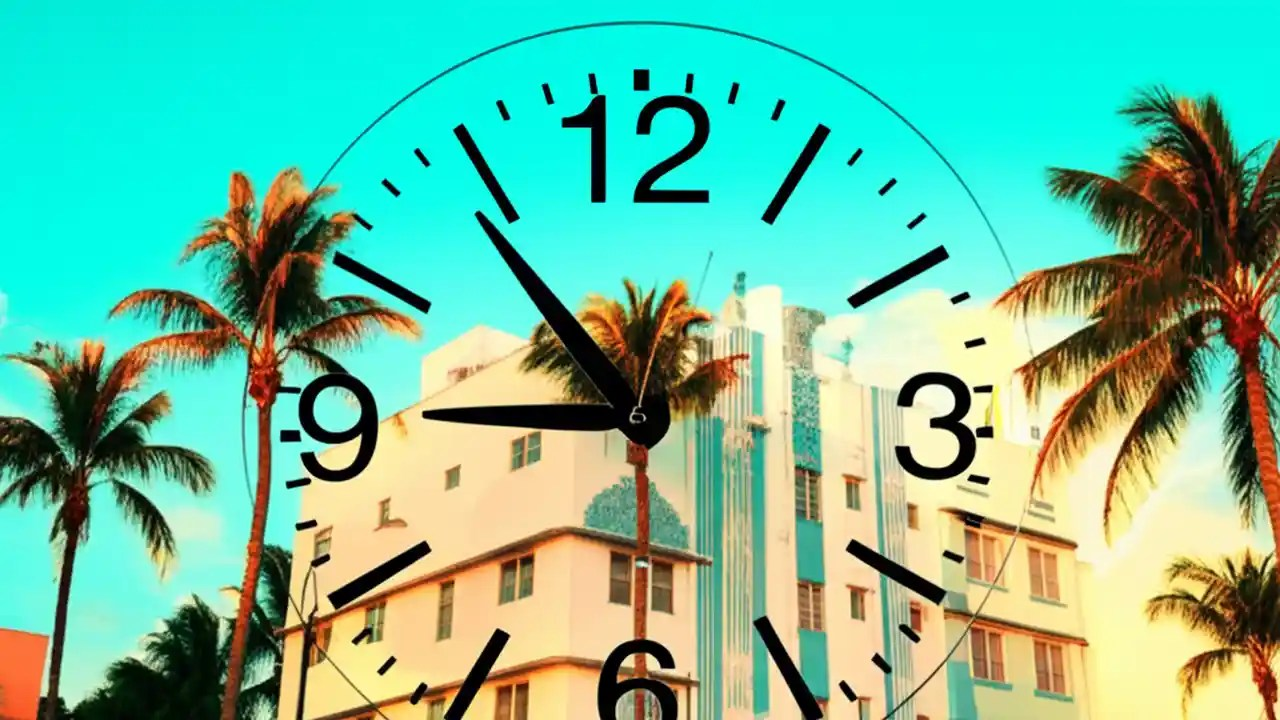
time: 10:45
